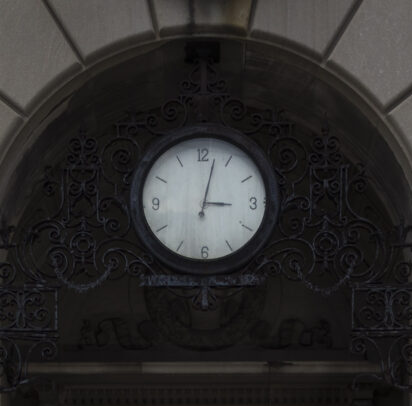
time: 3:02
